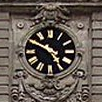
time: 4:49
